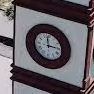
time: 2:58
